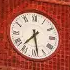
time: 7:28
